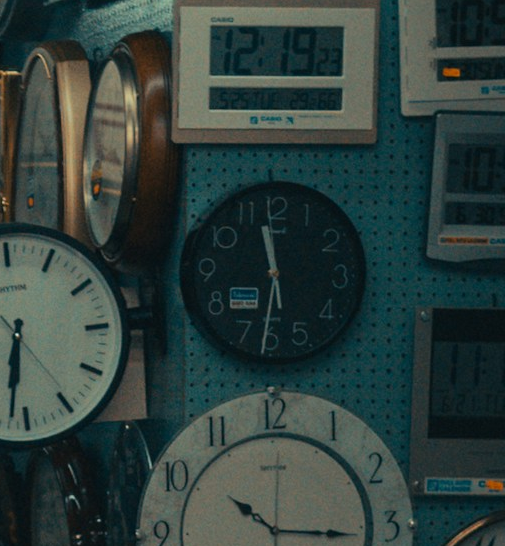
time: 11:31
